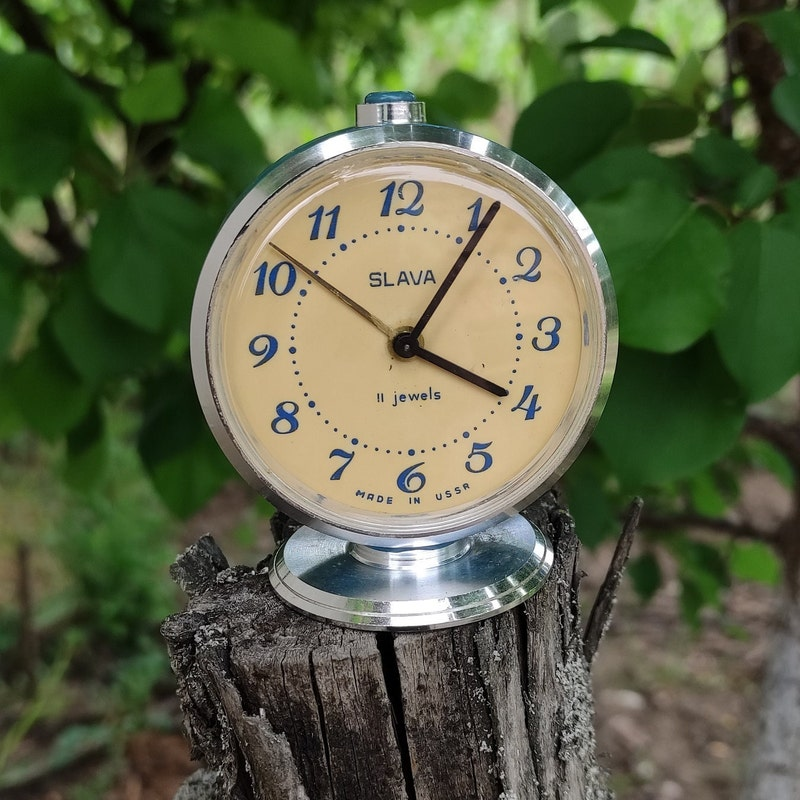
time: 4:05
